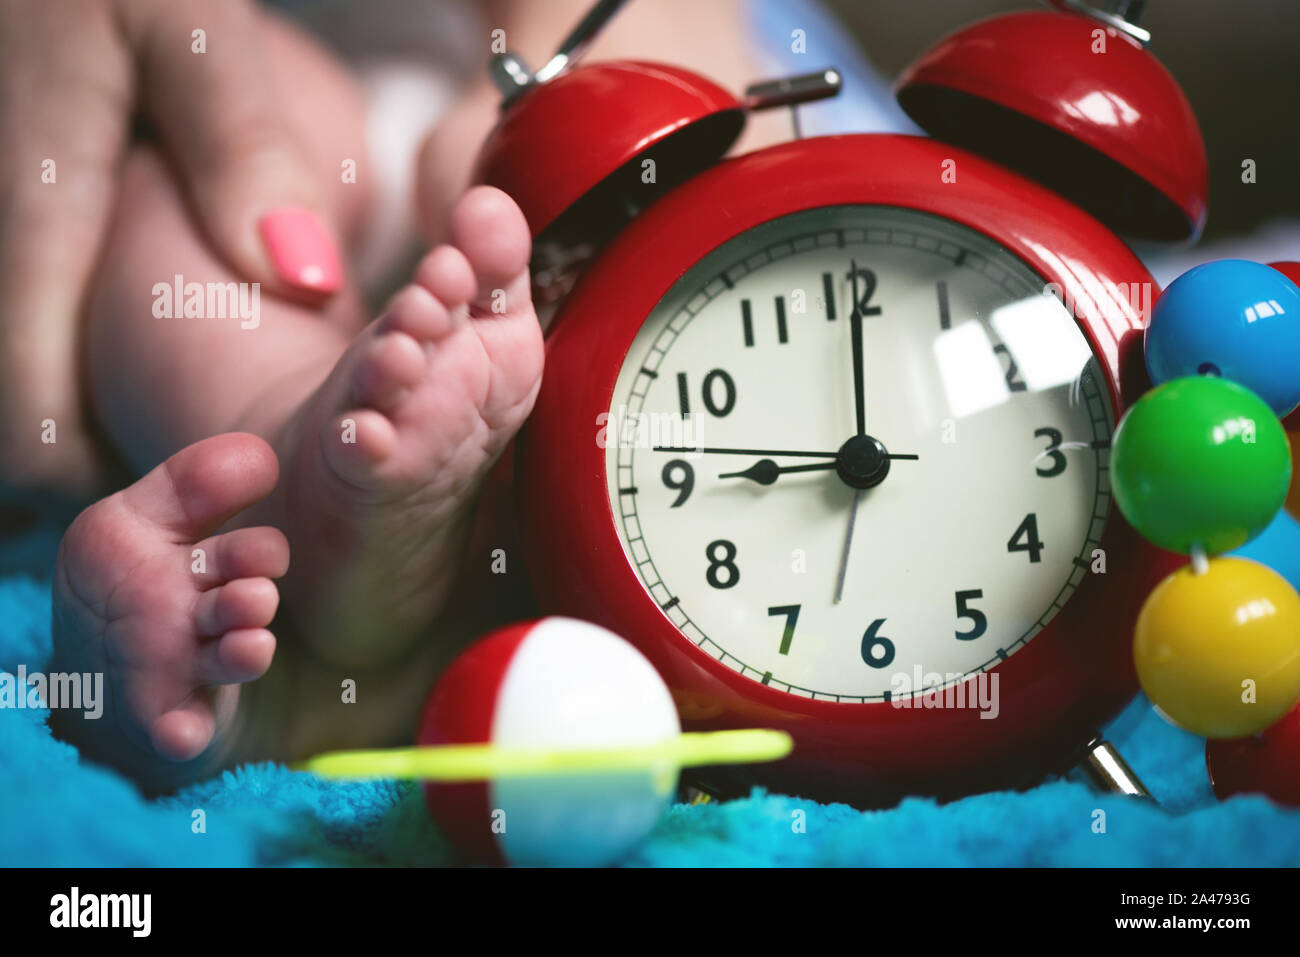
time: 9:01
